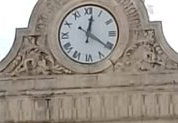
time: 12:20
